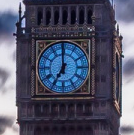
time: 6:59
